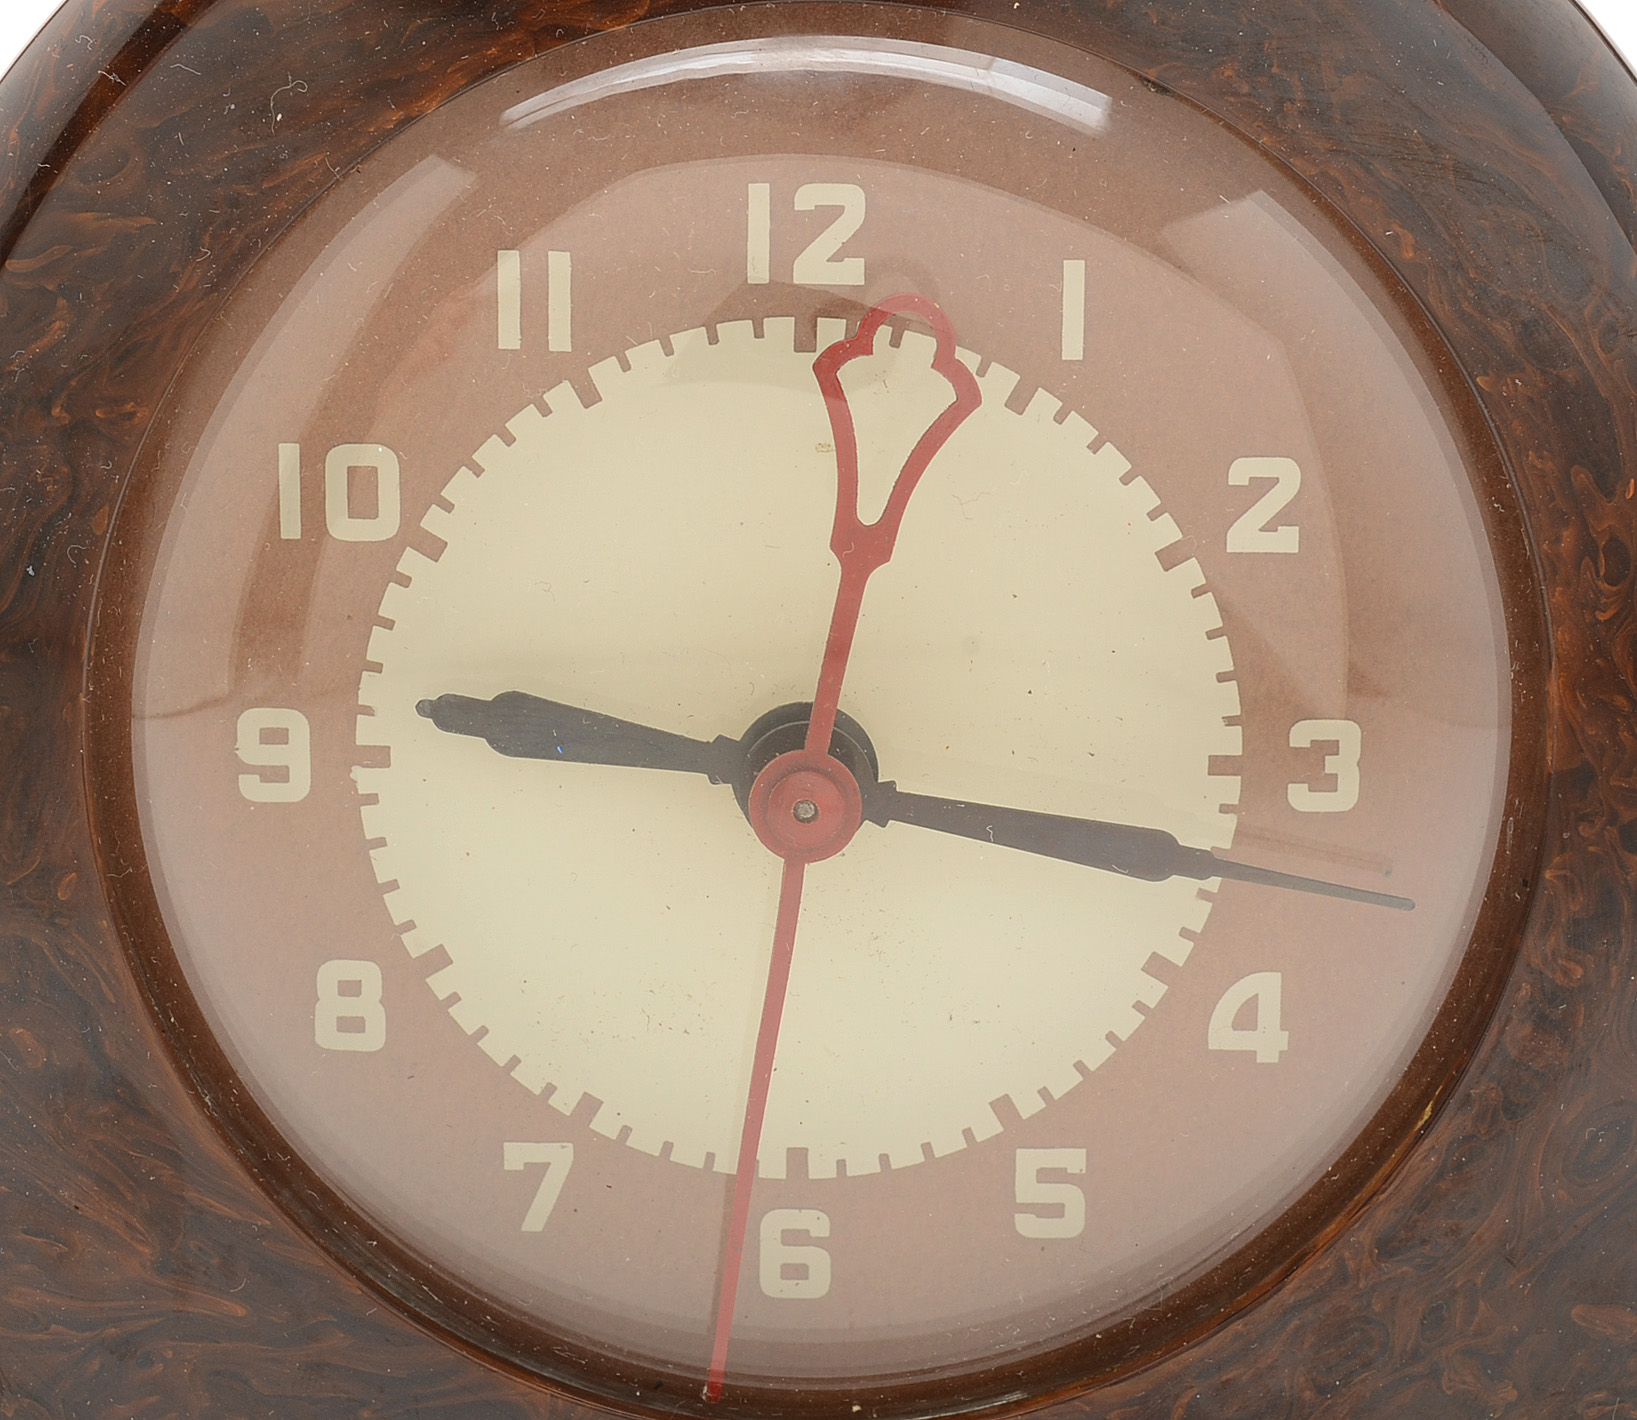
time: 9:17
